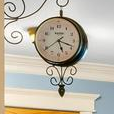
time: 5:18
